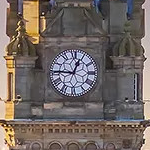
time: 12:45
